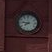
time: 7:46
